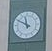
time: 11:49
